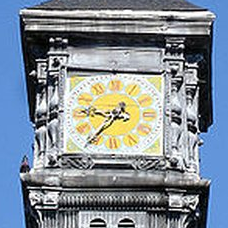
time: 9:36
